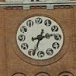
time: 2:33
